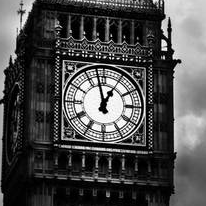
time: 12:57
